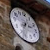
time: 2:33
